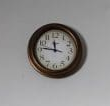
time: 11:46
